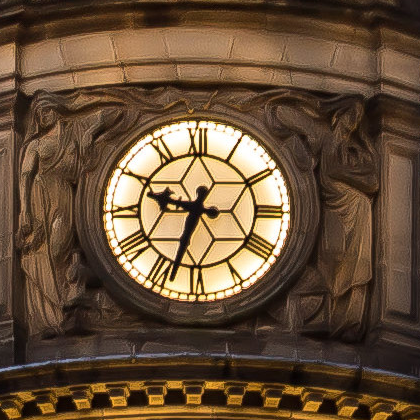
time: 9:33
